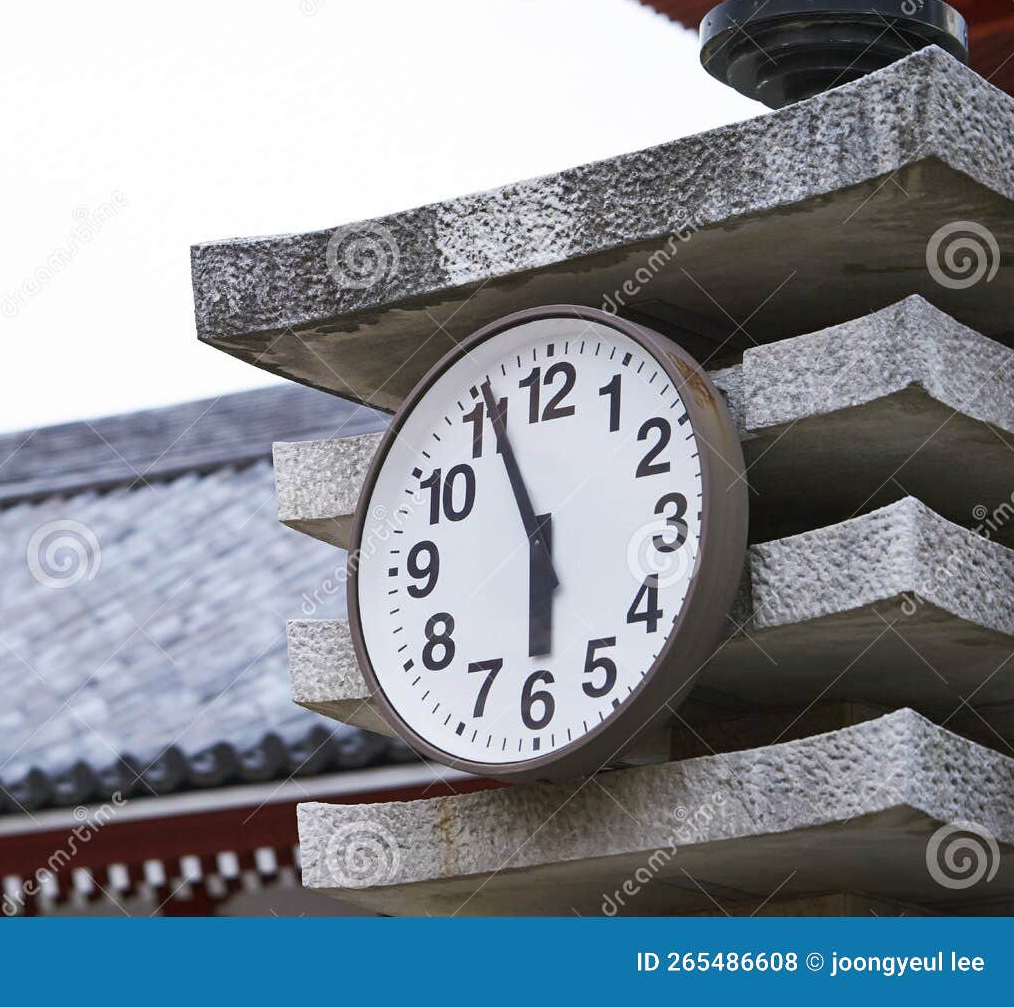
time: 5:55
